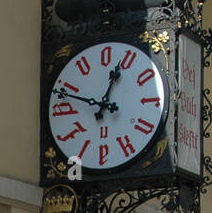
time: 12:48
